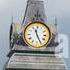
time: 11:25
